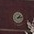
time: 1:13
